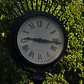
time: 9:16
